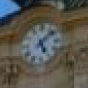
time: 5:07
